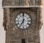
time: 7:00
